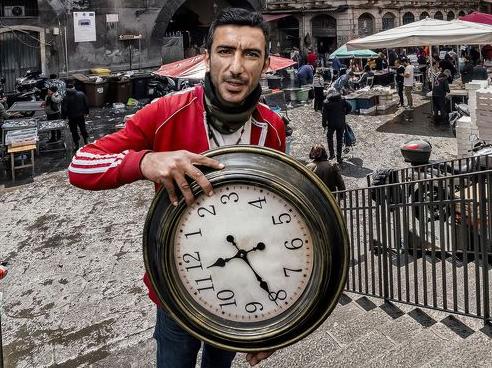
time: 8:25
